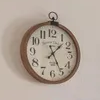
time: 1:25
